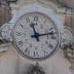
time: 11:12
